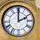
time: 2:00
